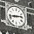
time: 2:43
